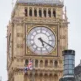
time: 5:19
